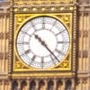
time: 10:22
